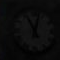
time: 11:02
